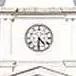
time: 4:30
